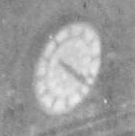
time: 4:21
